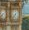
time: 7:37
